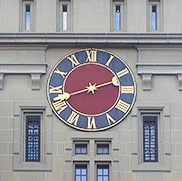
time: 2:41
